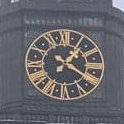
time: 1:19
